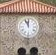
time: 11:55
